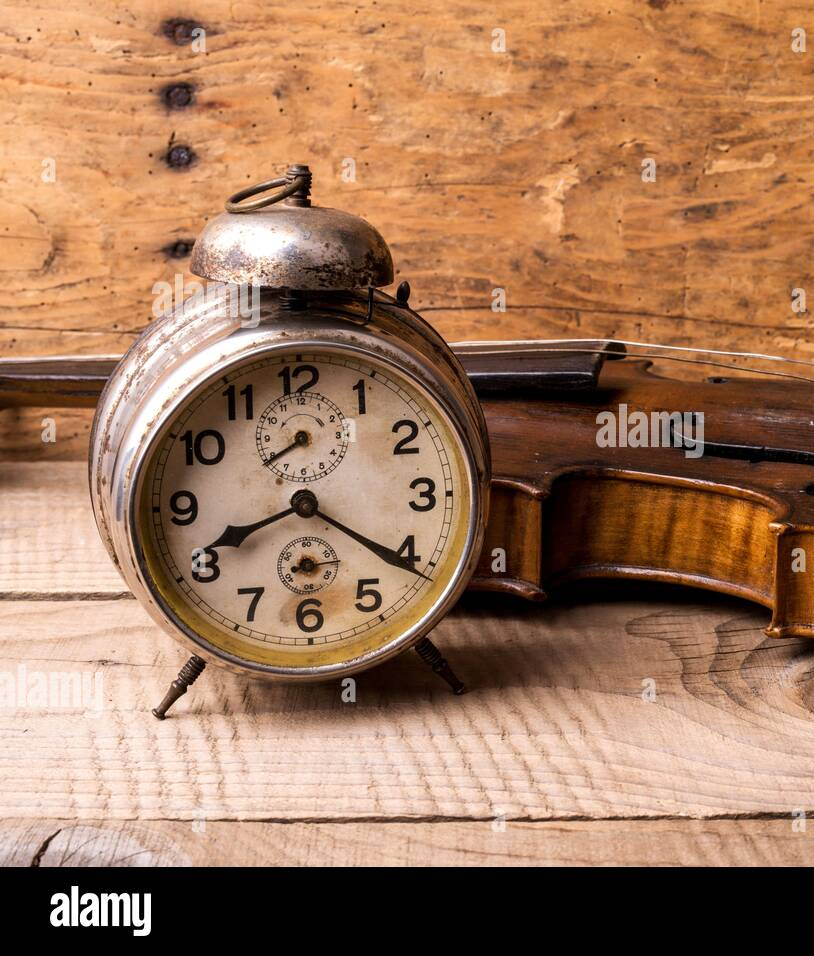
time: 8:20
